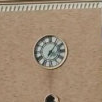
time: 7:06
